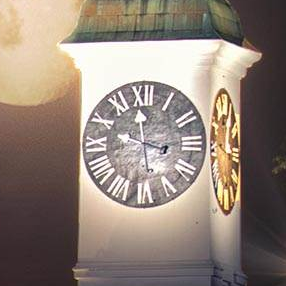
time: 3:28
